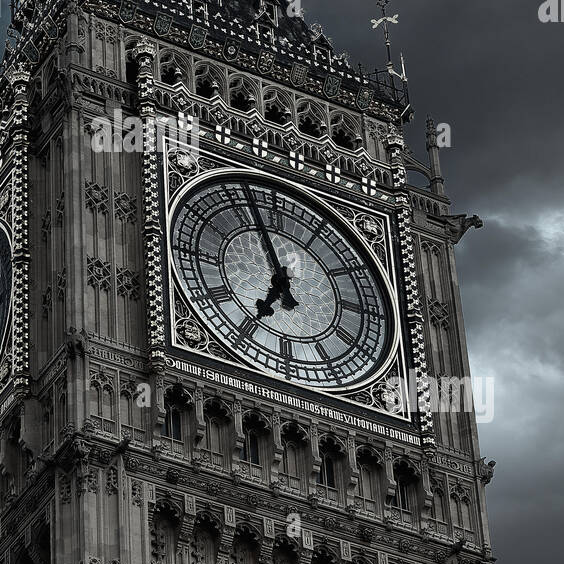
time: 6:56
